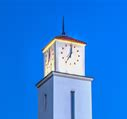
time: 7:01
